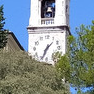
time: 1:33
